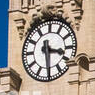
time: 3:29
